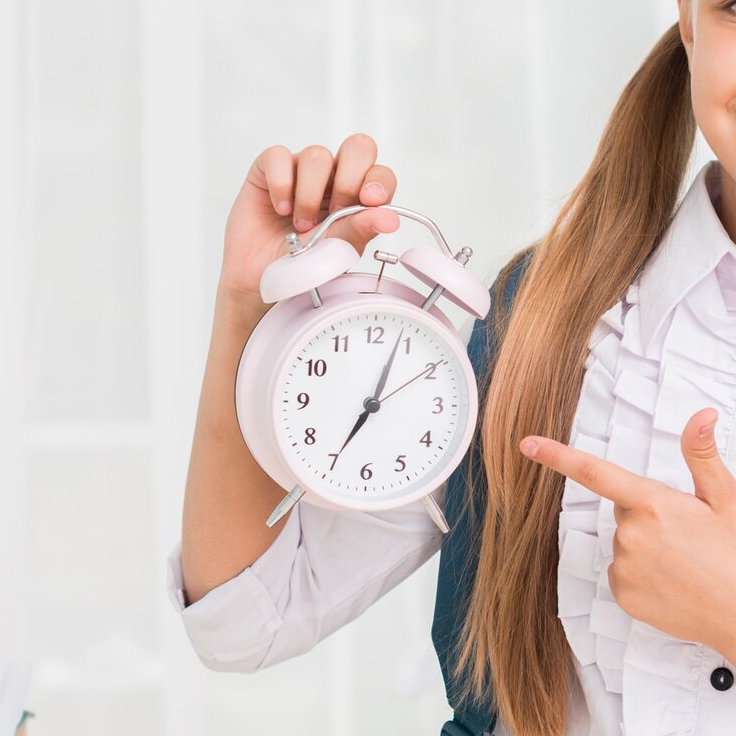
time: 7:03
